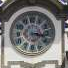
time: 3:17
